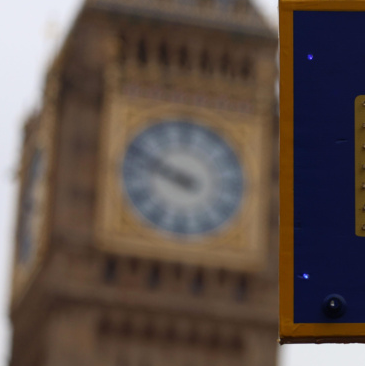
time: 9:48
